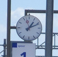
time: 1:10
